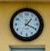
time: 1:19
